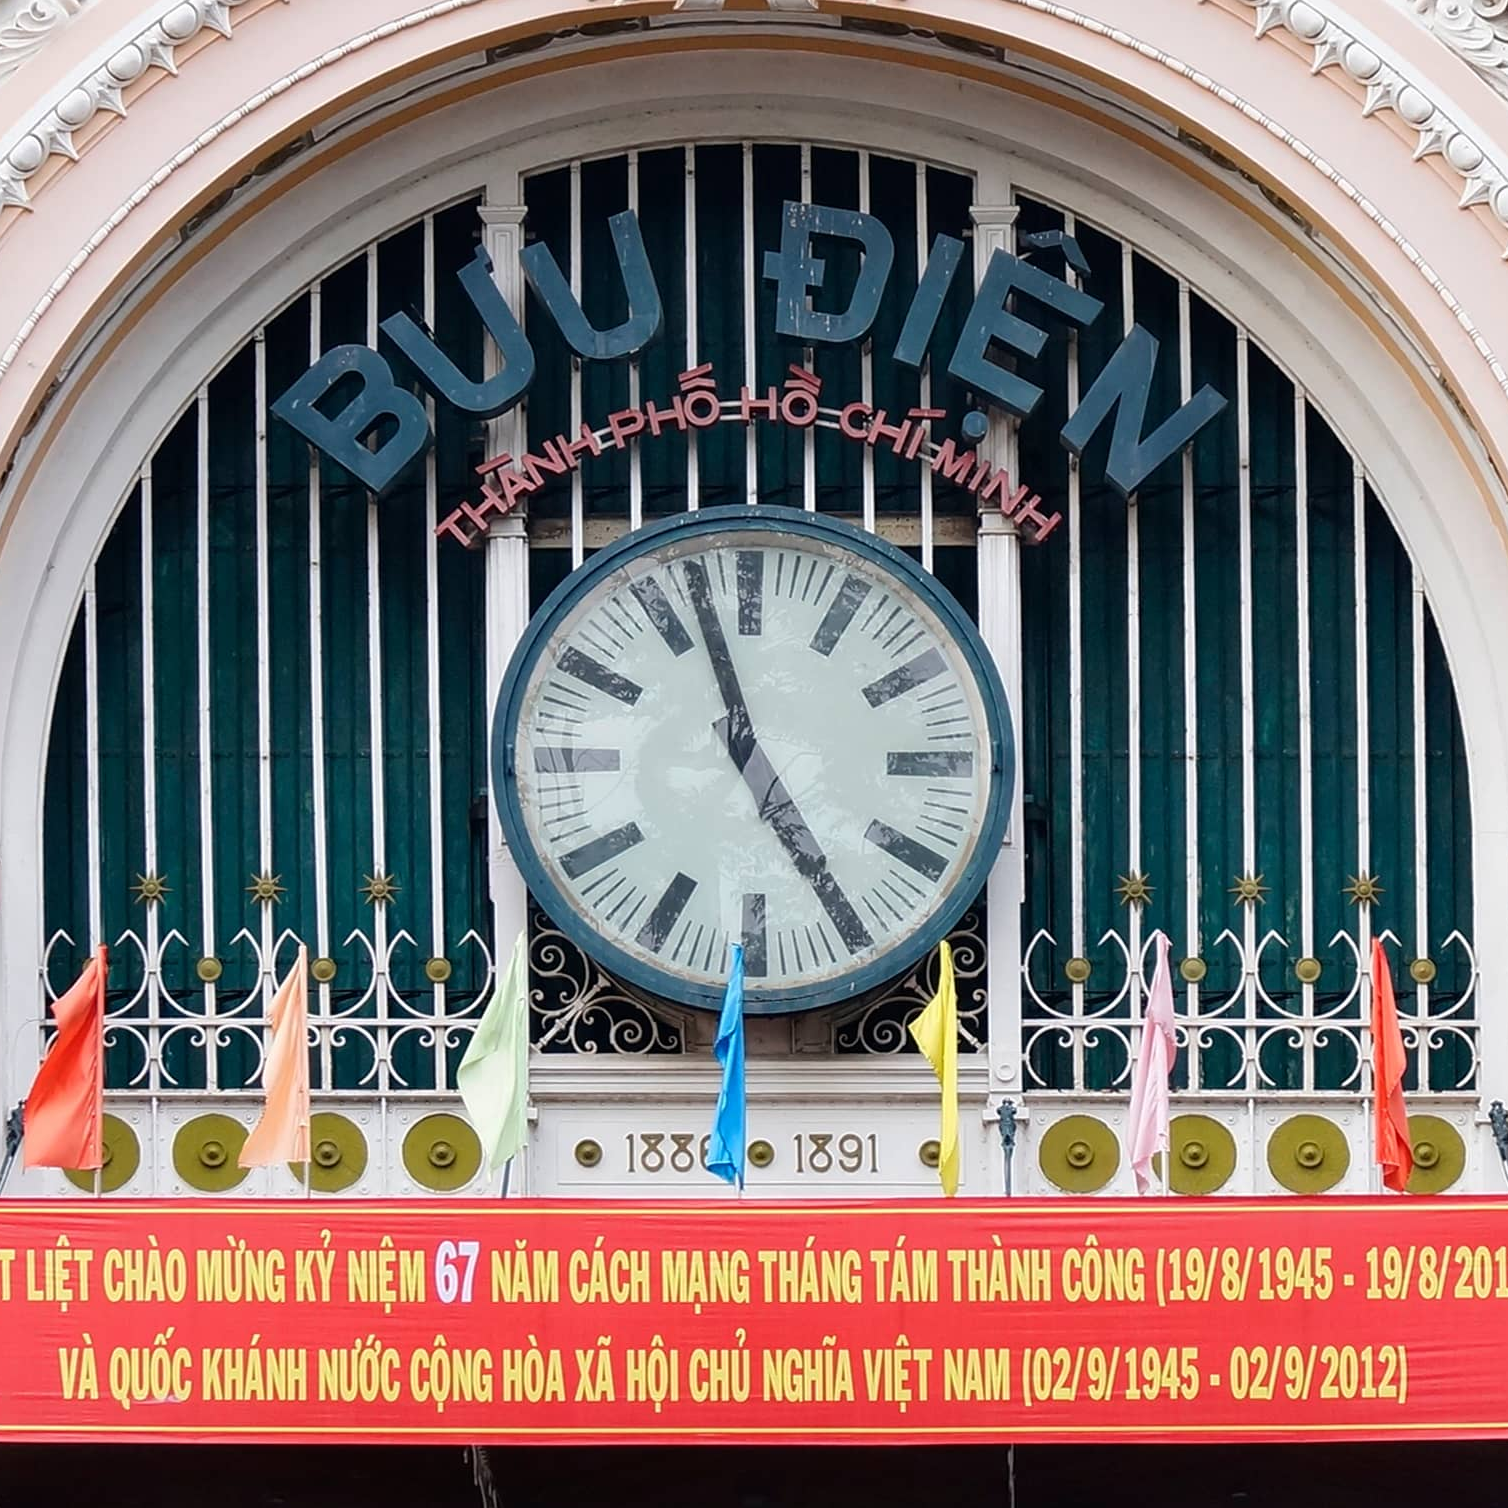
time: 4:57
